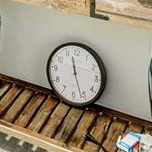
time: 11:26
